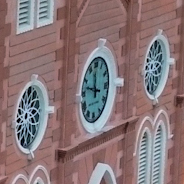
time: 11:47
